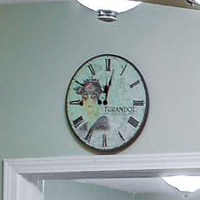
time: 12:02
